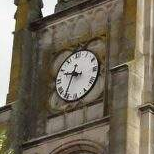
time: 9:34
